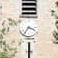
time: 3:35
